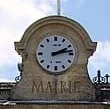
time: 2:13
